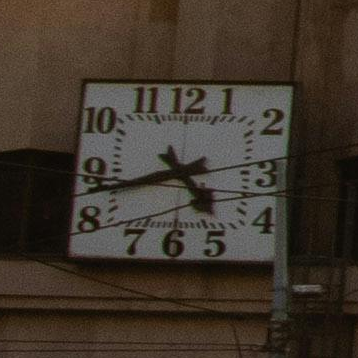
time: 4:42
